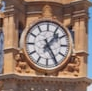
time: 1:24
